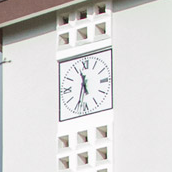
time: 11:33
